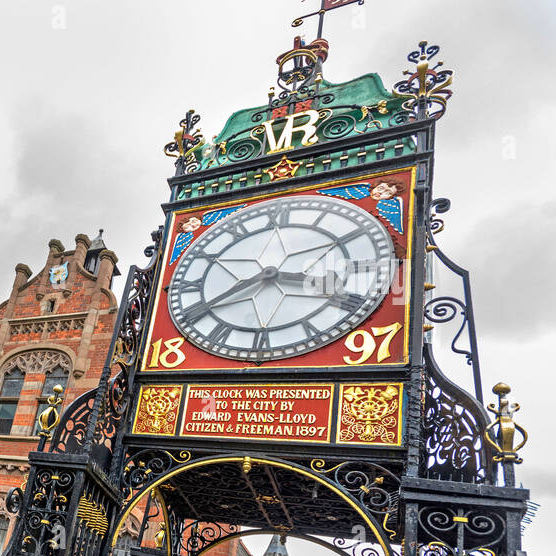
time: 3:40
